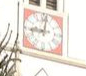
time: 9:01
